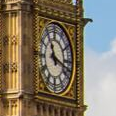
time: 11:17
